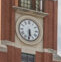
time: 5:30
